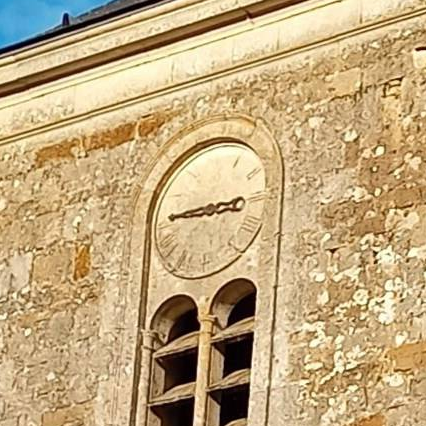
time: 2:45
